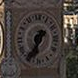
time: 6:36
